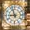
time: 8:57
